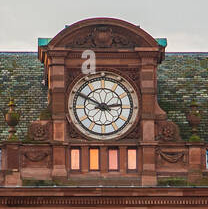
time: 2:50
